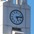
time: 5:13
